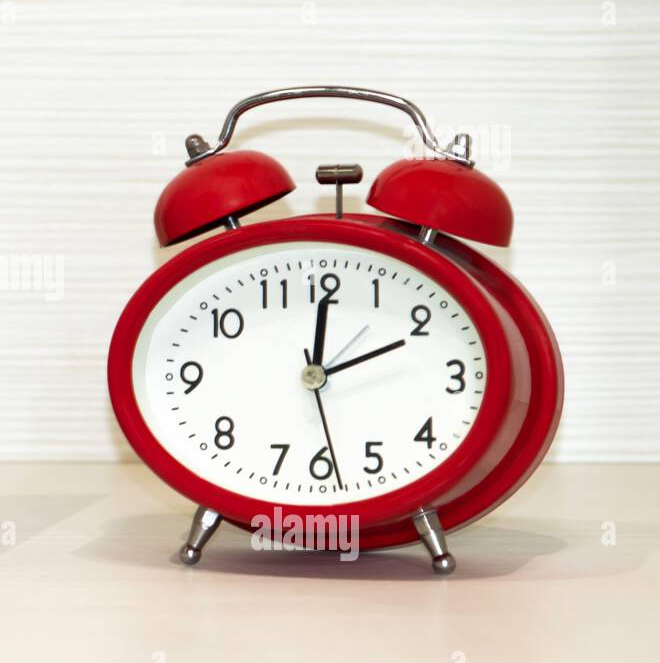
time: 2:00
